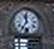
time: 11:35
